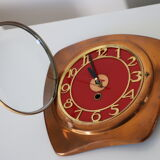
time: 10:56
